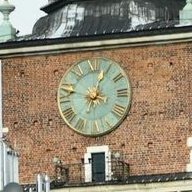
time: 12:47
